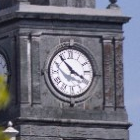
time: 3:53
